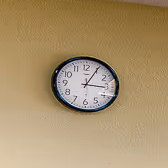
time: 3:04
